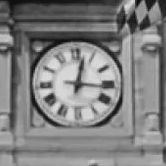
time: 12:16
